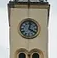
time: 4:02
